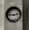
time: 2:46
